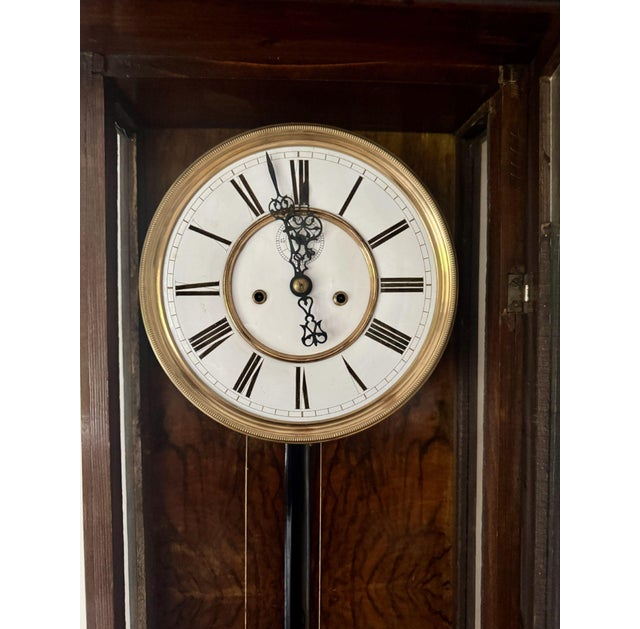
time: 11:57
